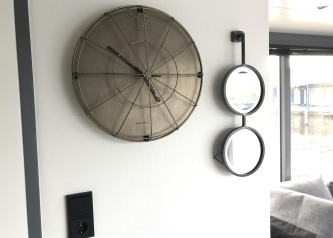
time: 4:50
